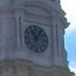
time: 11:05
